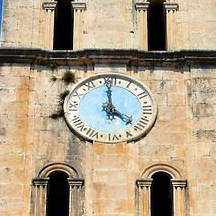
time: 4:00
